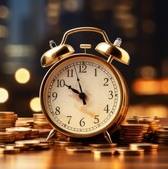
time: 9:57
